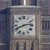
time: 8:13
